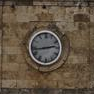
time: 2:43
